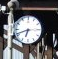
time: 6:41
